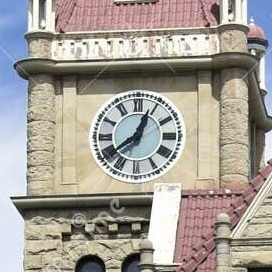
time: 12:39
